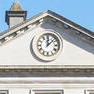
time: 12:07
